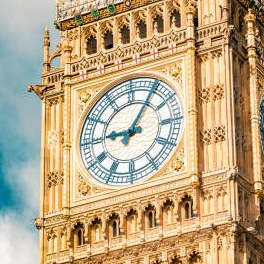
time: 9:05
